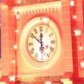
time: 11:51
